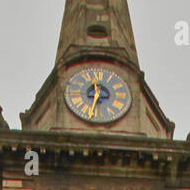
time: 11:32
